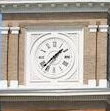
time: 1:37
